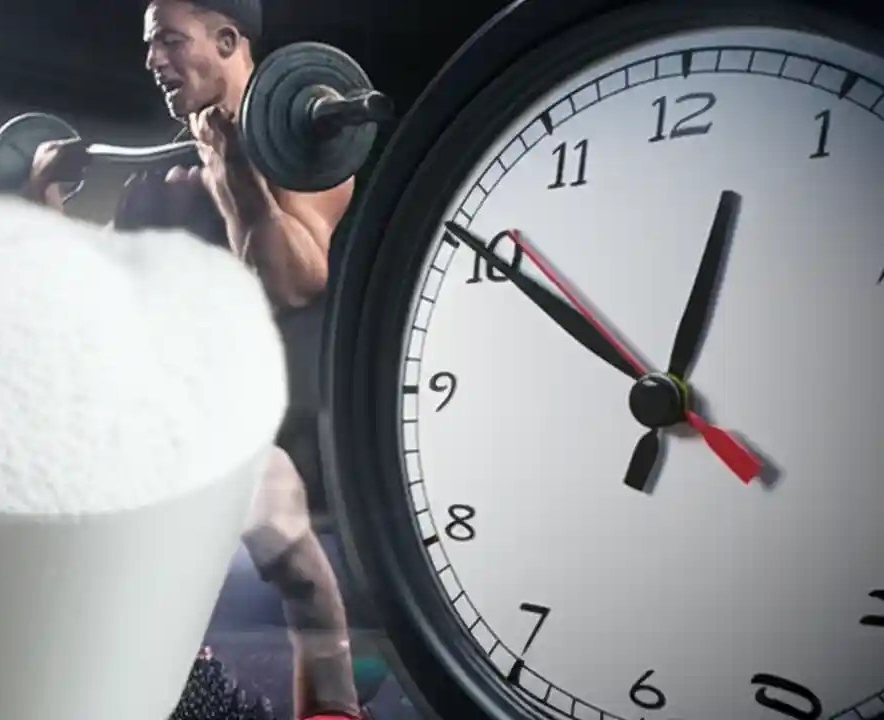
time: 12:50
